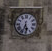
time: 5:33
